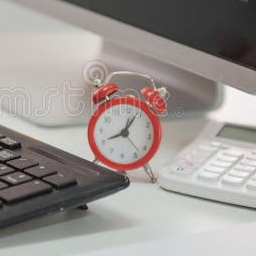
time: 8:04
